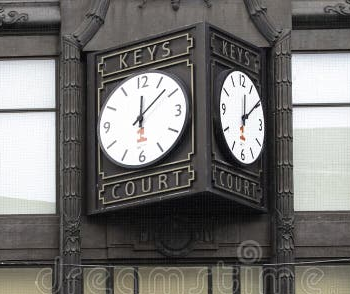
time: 12:07
